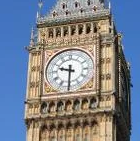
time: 9:31
